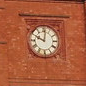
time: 10:01
